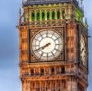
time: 7:41
